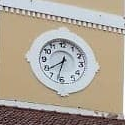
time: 7:32
